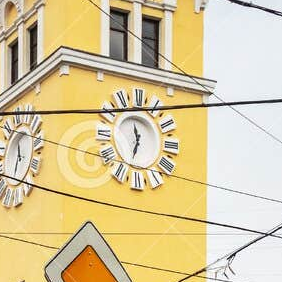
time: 11:32
